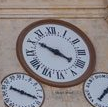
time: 3:50
